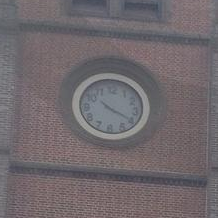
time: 10:19
